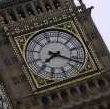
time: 7:17
